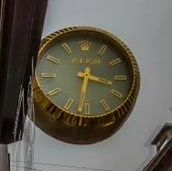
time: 3:31
